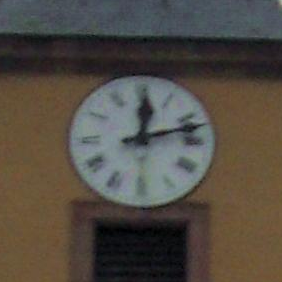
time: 12:12
